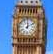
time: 12:09
